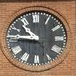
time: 10:46
